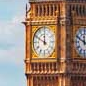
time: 11:49
